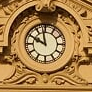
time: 9:57
